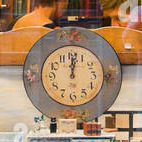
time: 12:01
